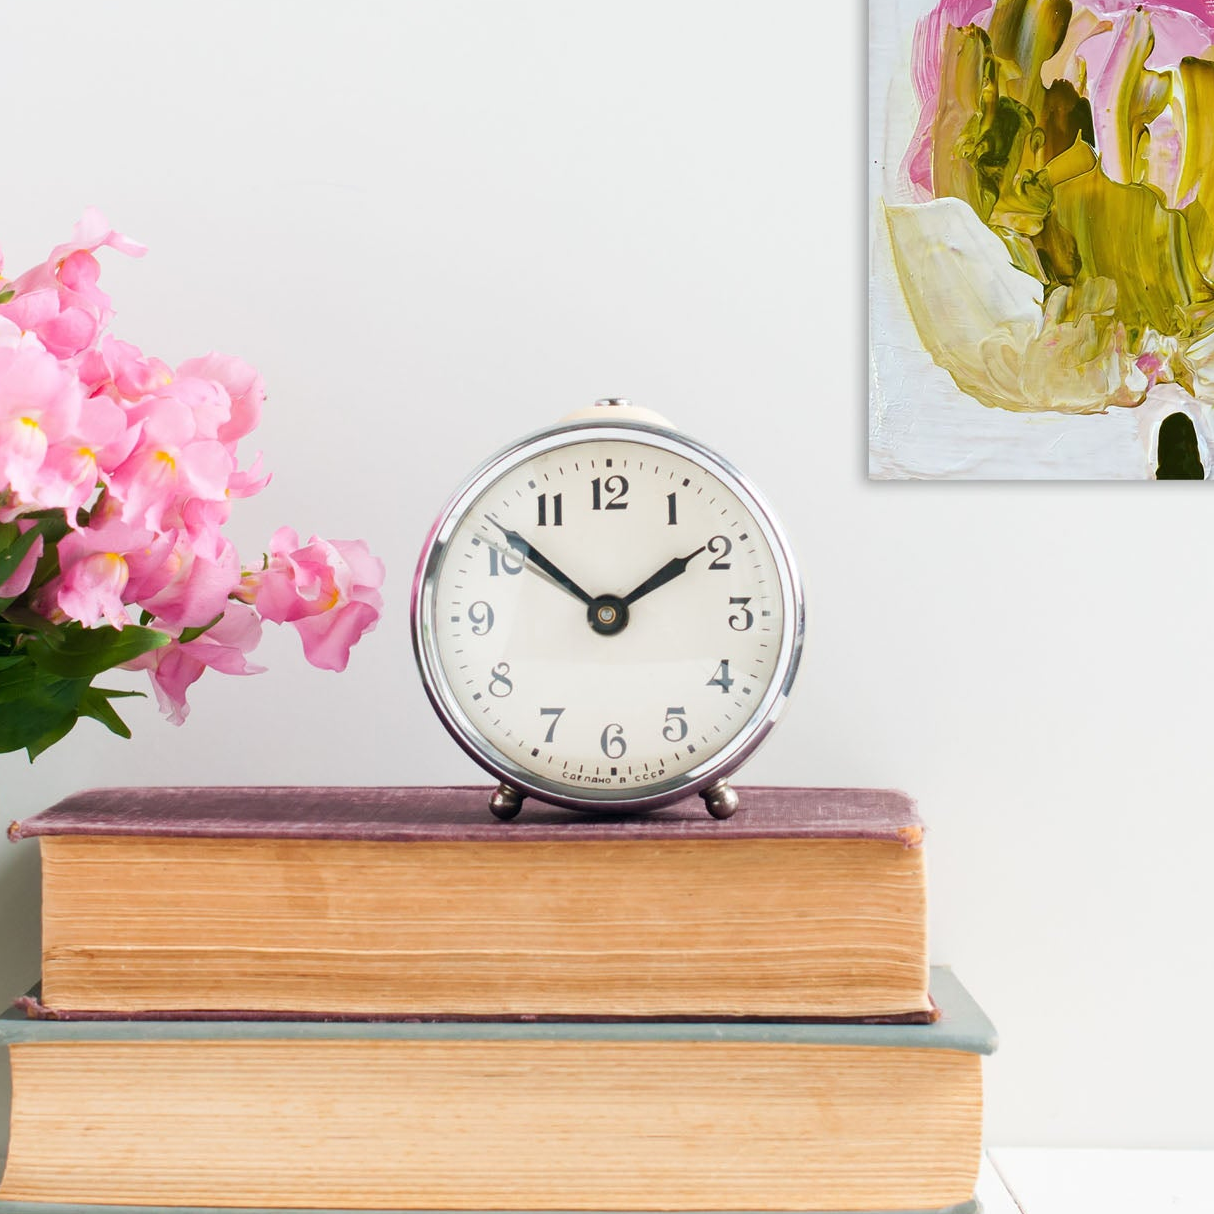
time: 1:51
